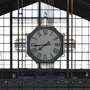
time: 7:43
